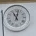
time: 11:02
